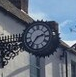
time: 2:36
